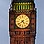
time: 4:38
